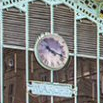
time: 10:17
